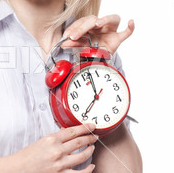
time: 8:01
